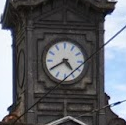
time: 4:40
